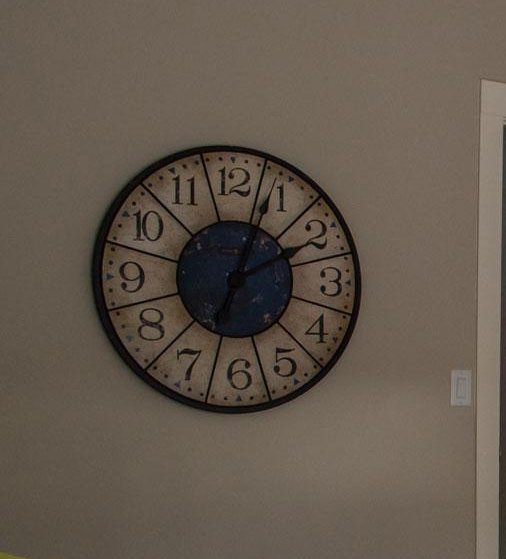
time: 2:03
